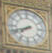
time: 7:41
